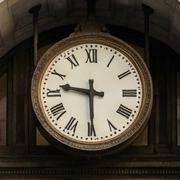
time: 9:29
